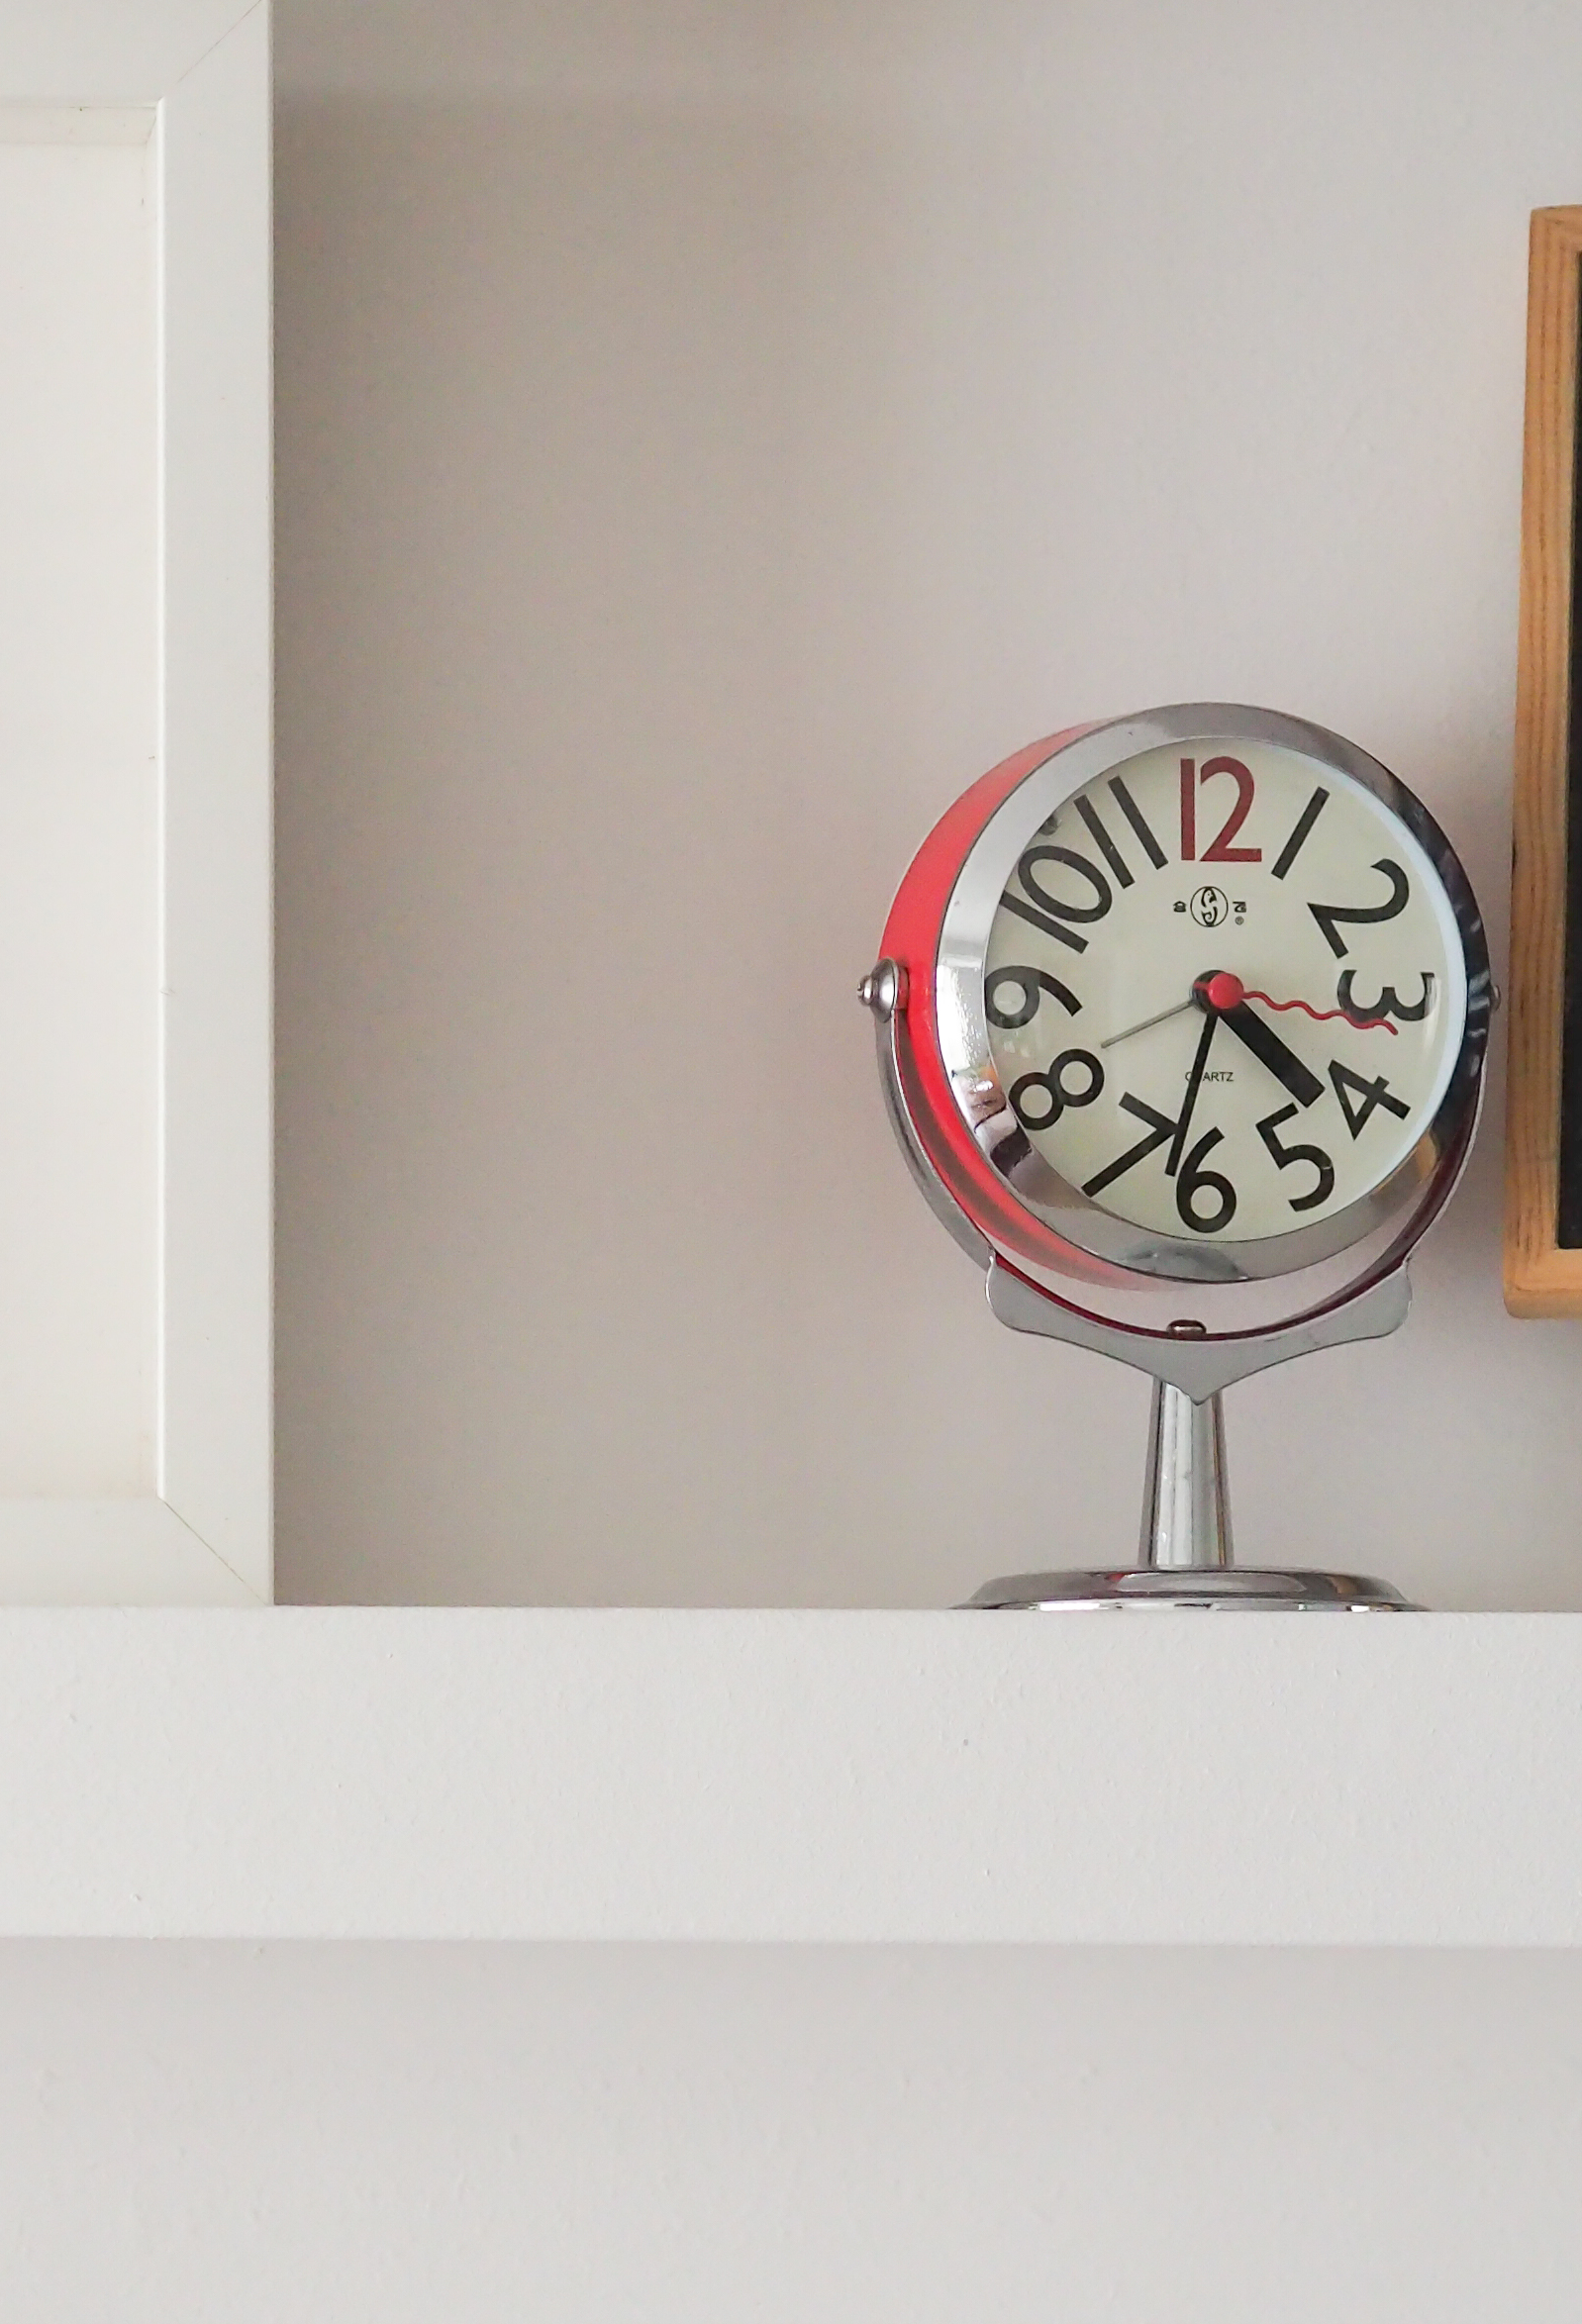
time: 4:31
